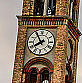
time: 7:55
